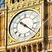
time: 10:21
